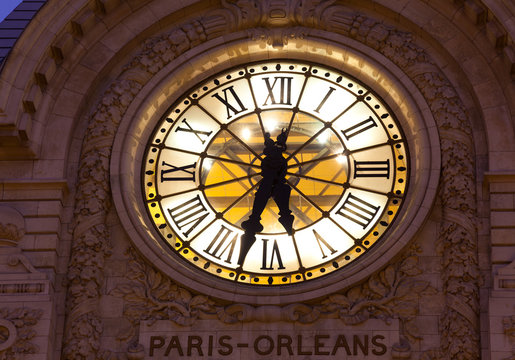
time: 5:32
